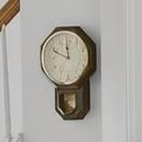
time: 11:48
